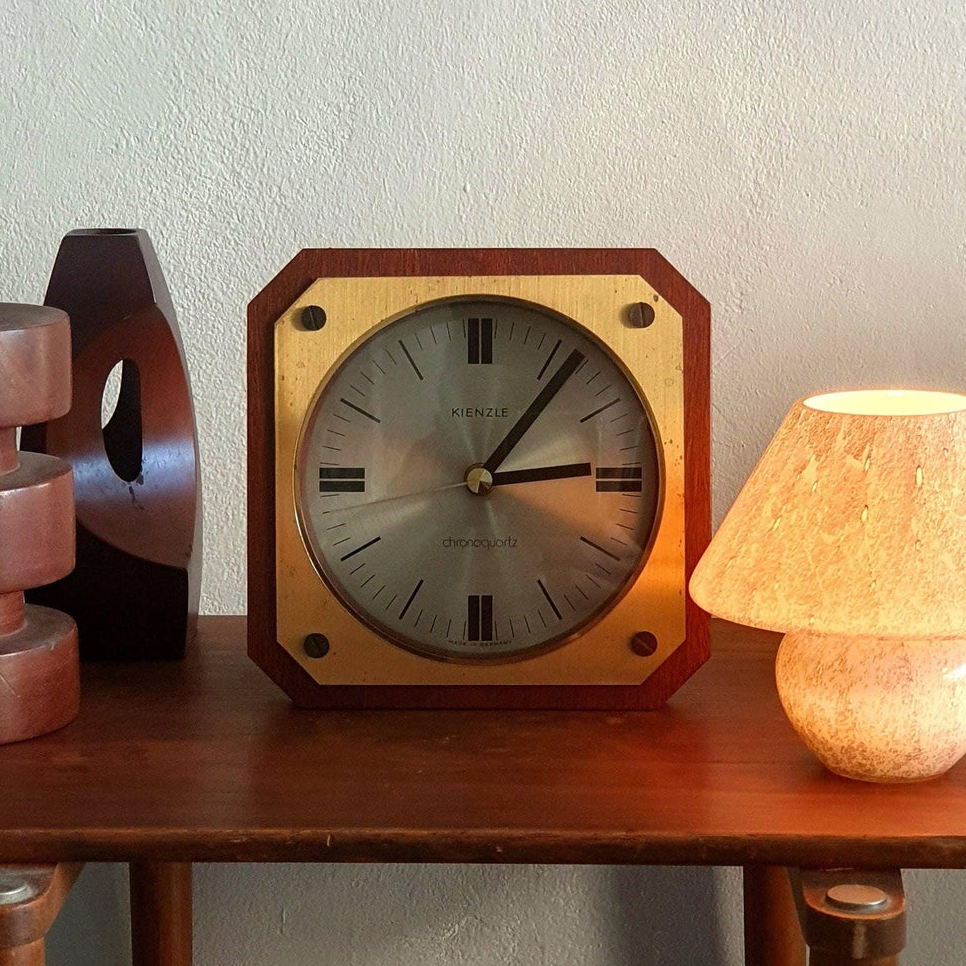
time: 3:06
